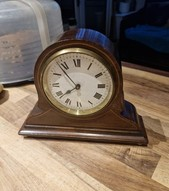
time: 7:53
